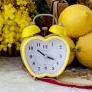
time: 10:18
